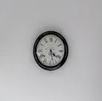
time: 4:27
